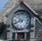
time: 10:41
